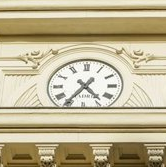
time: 4:35
